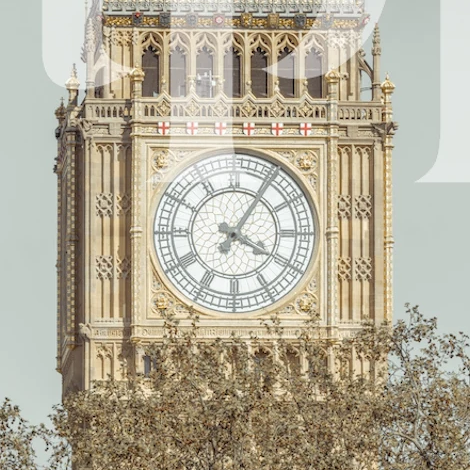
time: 4:05
